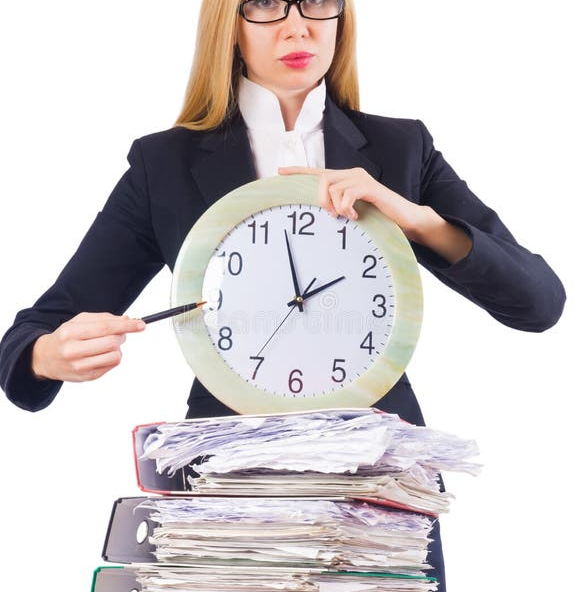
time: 1:57
